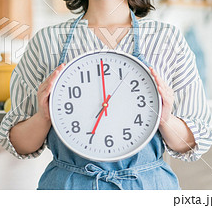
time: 7:00
